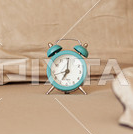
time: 7:00
